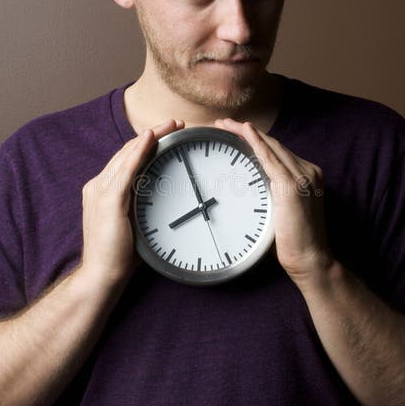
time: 7:55
